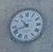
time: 10:41
